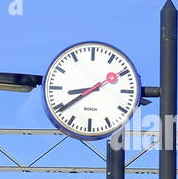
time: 8:39
